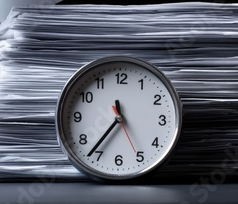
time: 11:36
